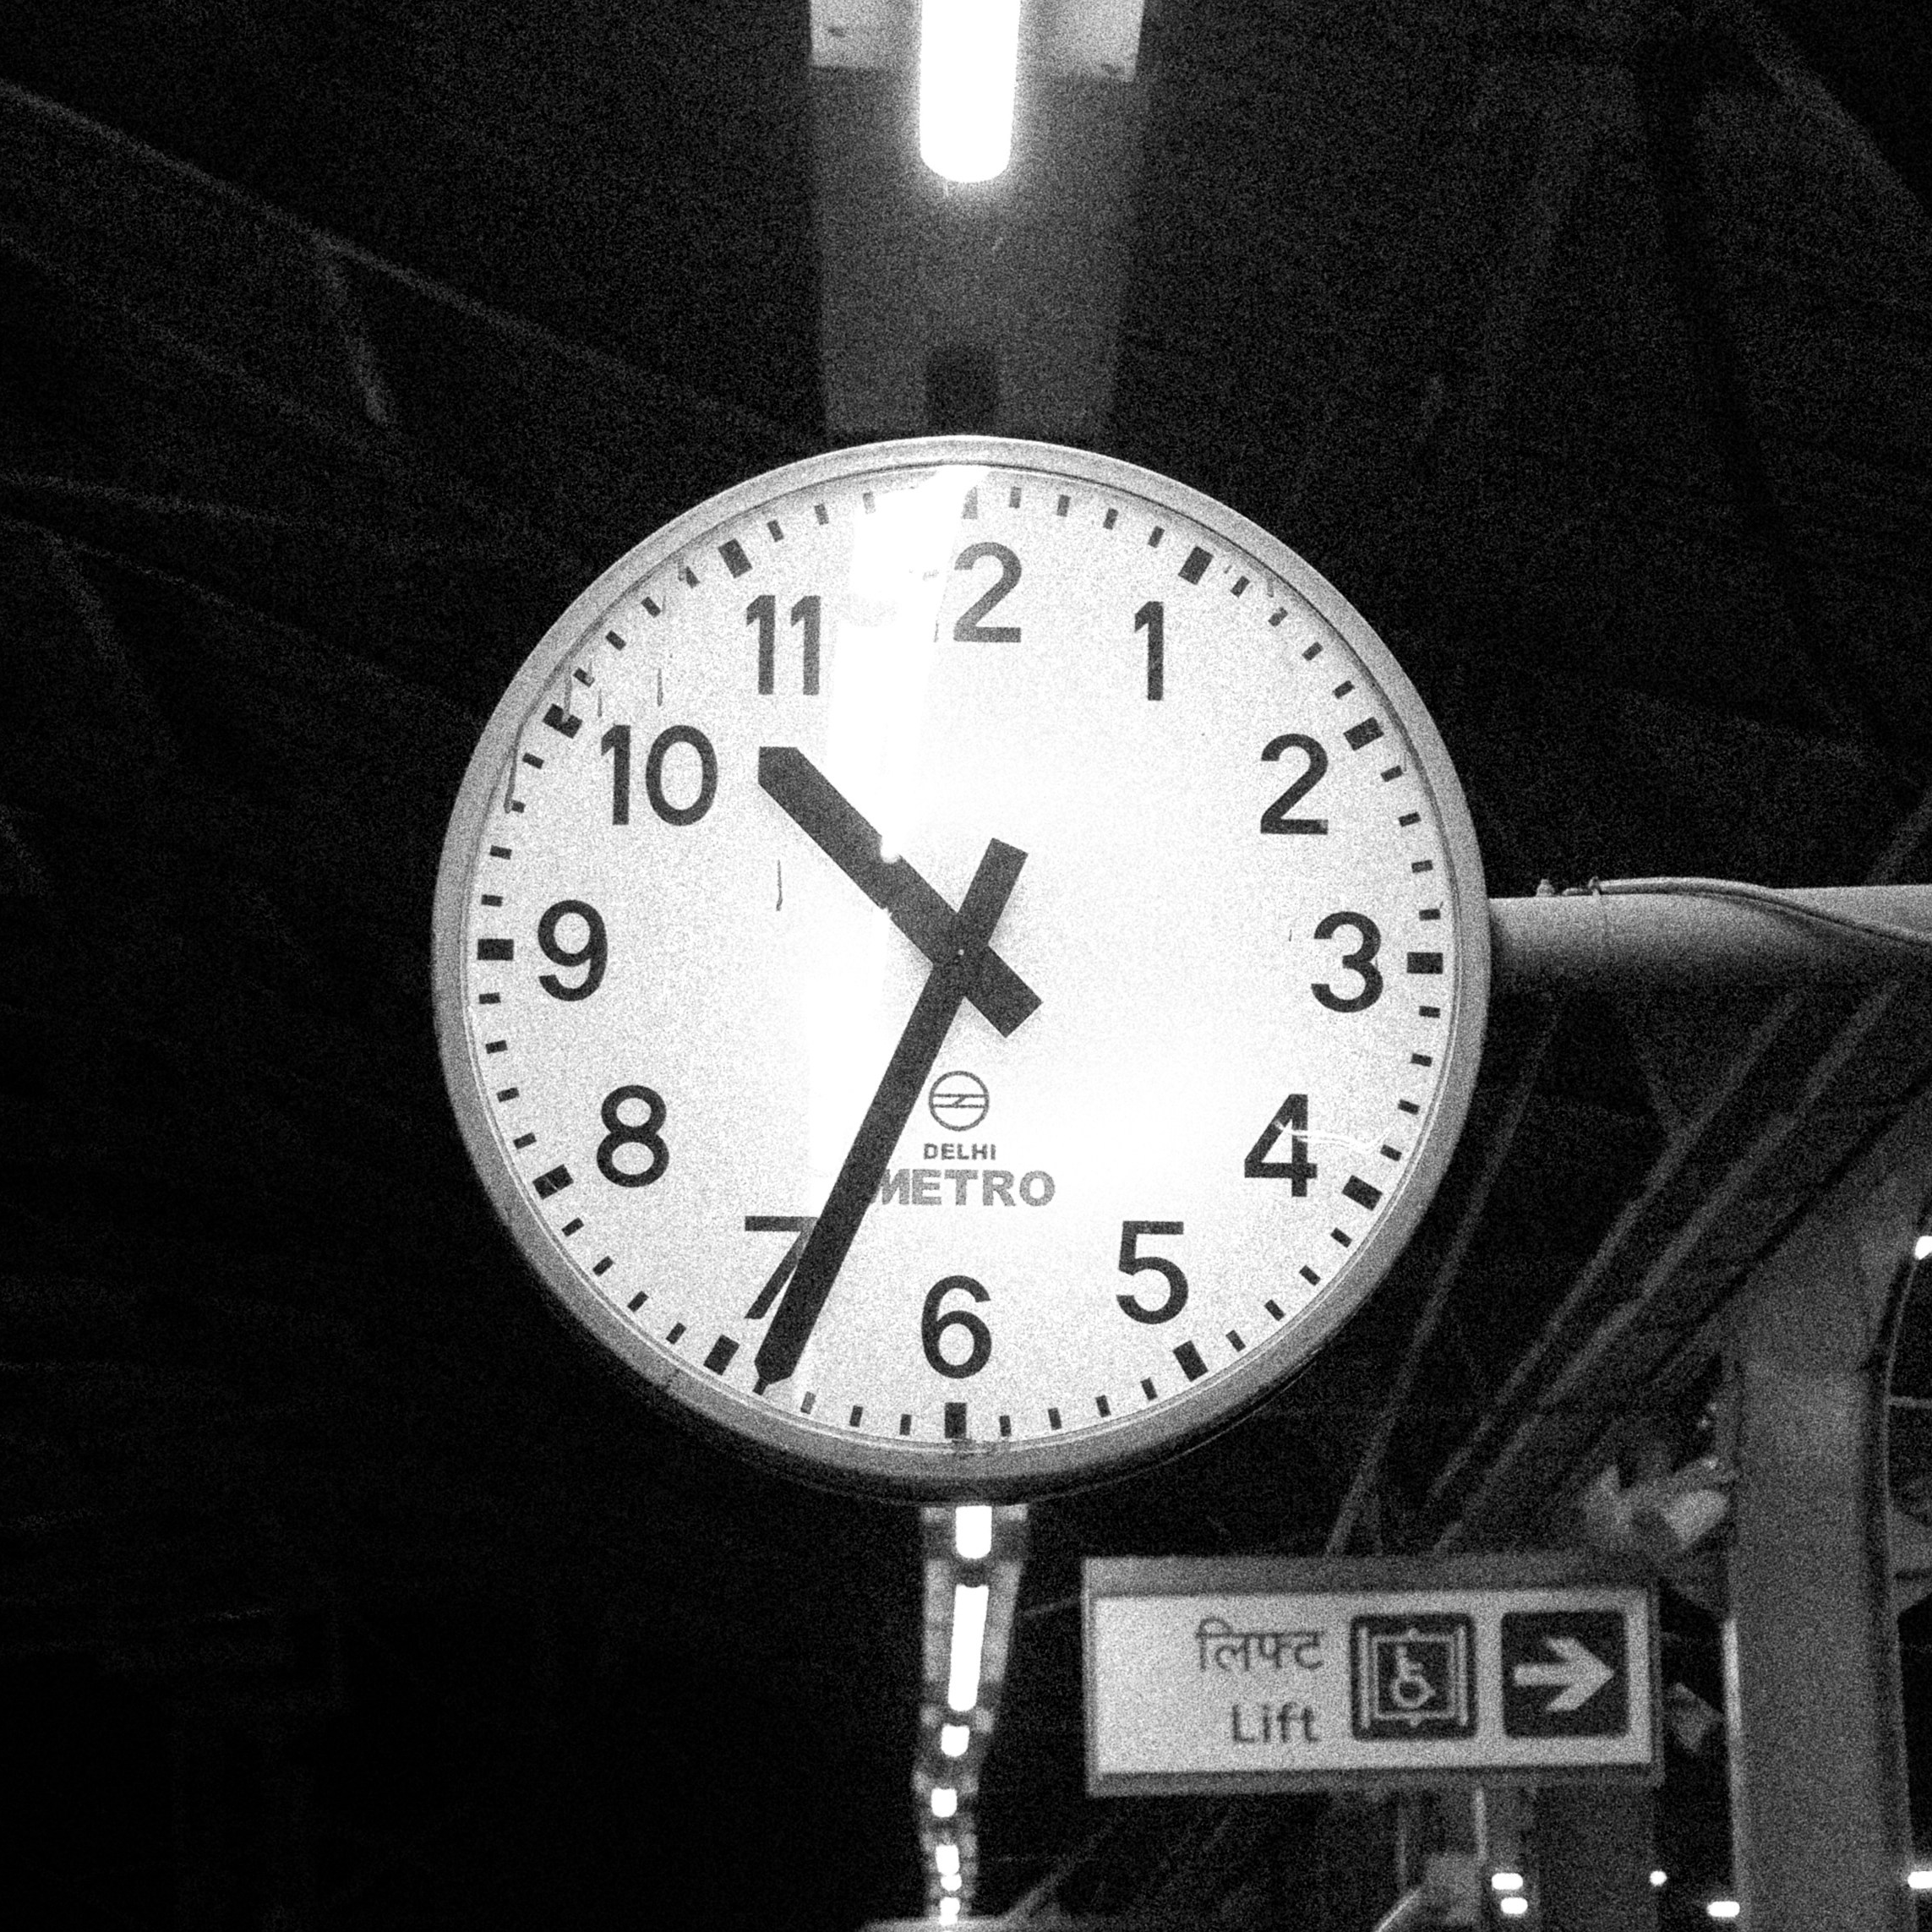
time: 10:34
